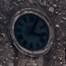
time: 3:04
